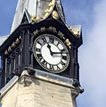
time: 11:12
